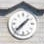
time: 1:37
